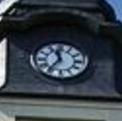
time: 11:36
